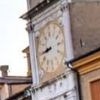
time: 8:44
